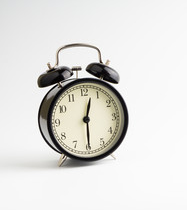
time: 12:29
